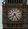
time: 7:24
